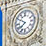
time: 7:50
